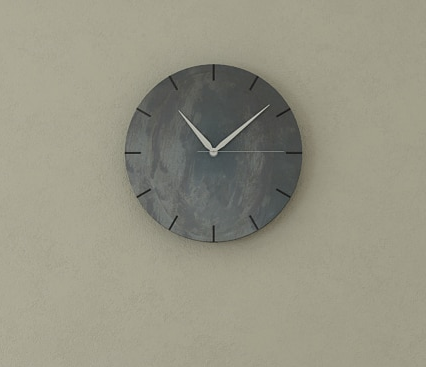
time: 11:08
